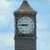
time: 8:45
